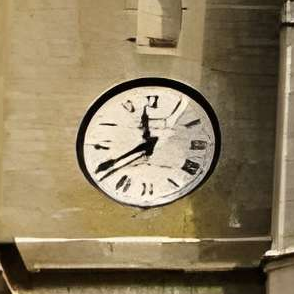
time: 11:40
